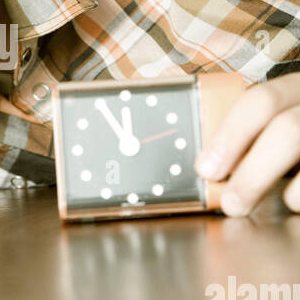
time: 11:55
